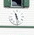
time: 11:28
